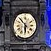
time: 5:51
